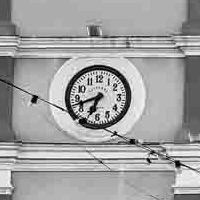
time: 6:41
